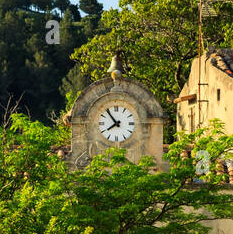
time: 7:53
